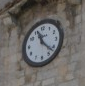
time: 11:22
